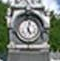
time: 5:03
